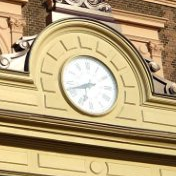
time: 6:41
